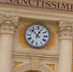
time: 12:52
